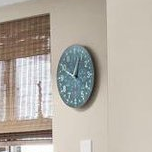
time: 12:49
